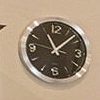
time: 11:07
